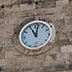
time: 11:01
